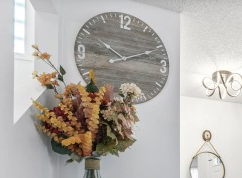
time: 10:11
